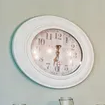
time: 6:31
